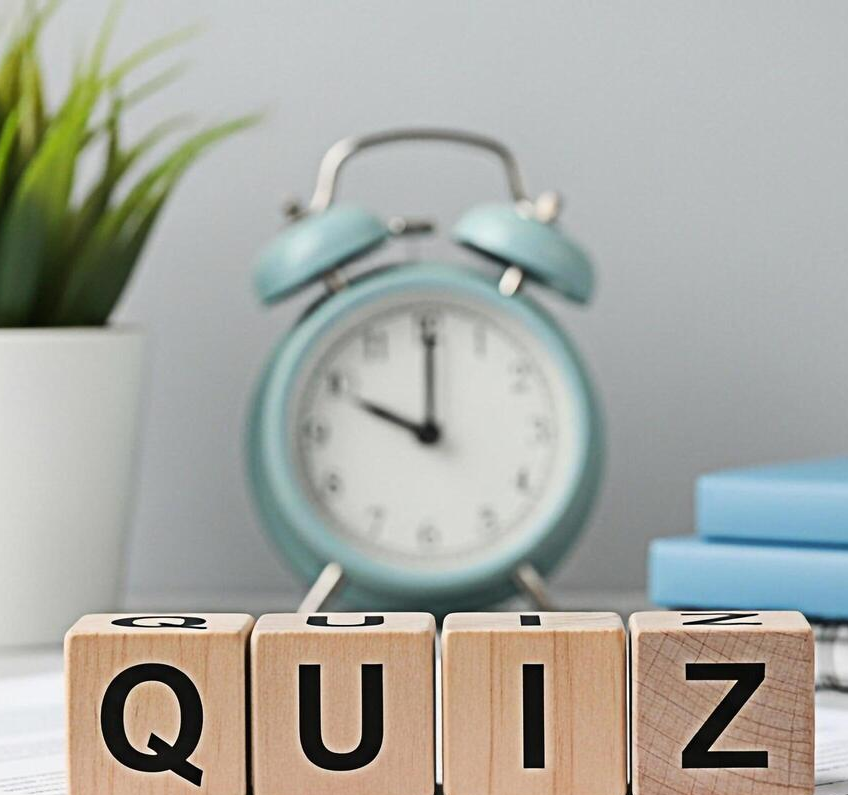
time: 10:00
